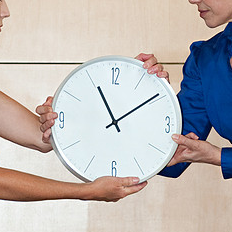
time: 11:09
